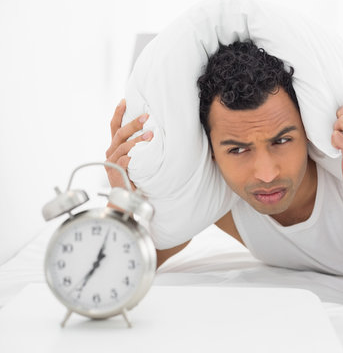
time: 7:03
